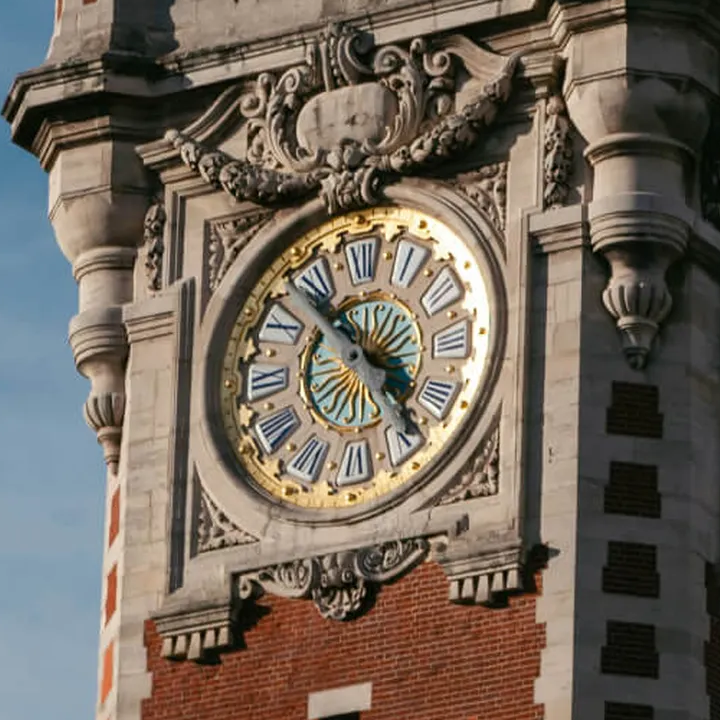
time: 4:52
